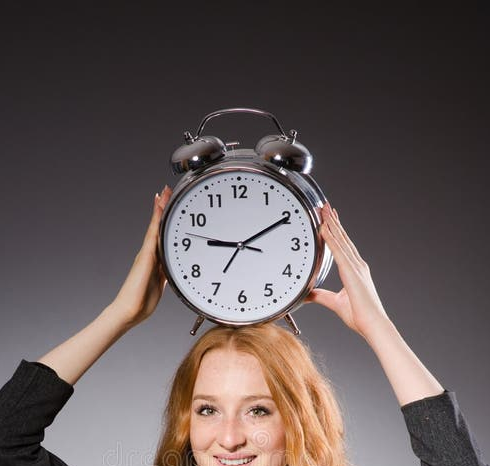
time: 9:10
